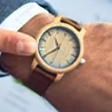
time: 11:40
